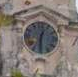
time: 12:30
